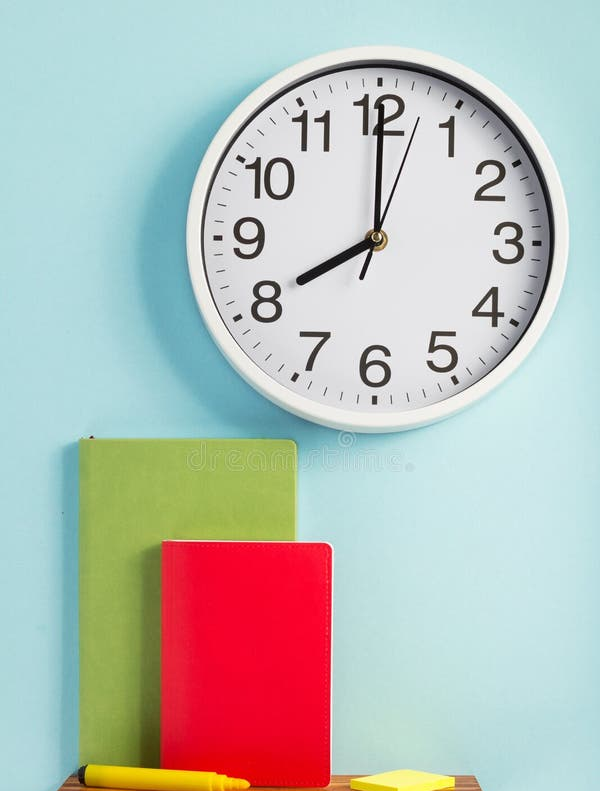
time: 8:00
